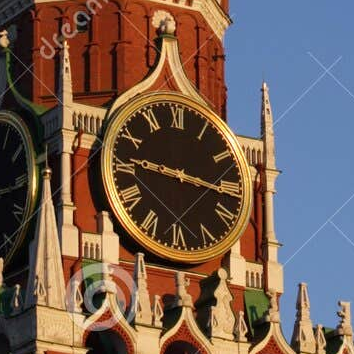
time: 9:16
